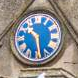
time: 10:28
